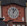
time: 12:06
